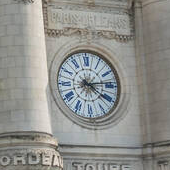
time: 4:13
